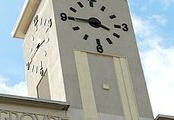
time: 3:45
